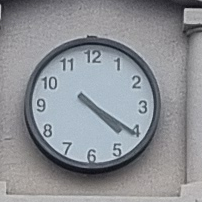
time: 4:20
